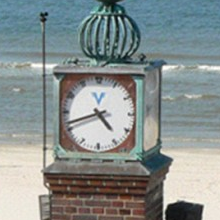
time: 4:41
